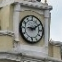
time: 9:09
